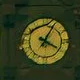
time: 4:04
